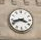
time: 3:42
